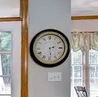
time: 2:29
